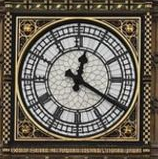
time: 12:20
